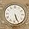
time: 5:26
